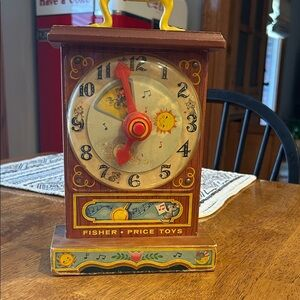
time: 11:48
